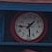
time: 1:28
